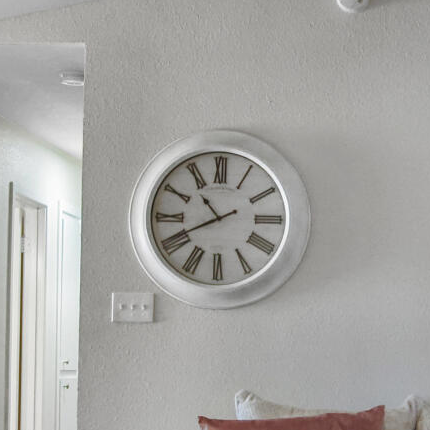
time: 10:40
